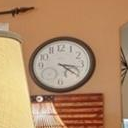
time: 3:21
